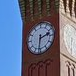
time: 2:31
